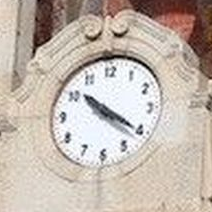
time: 10:20
